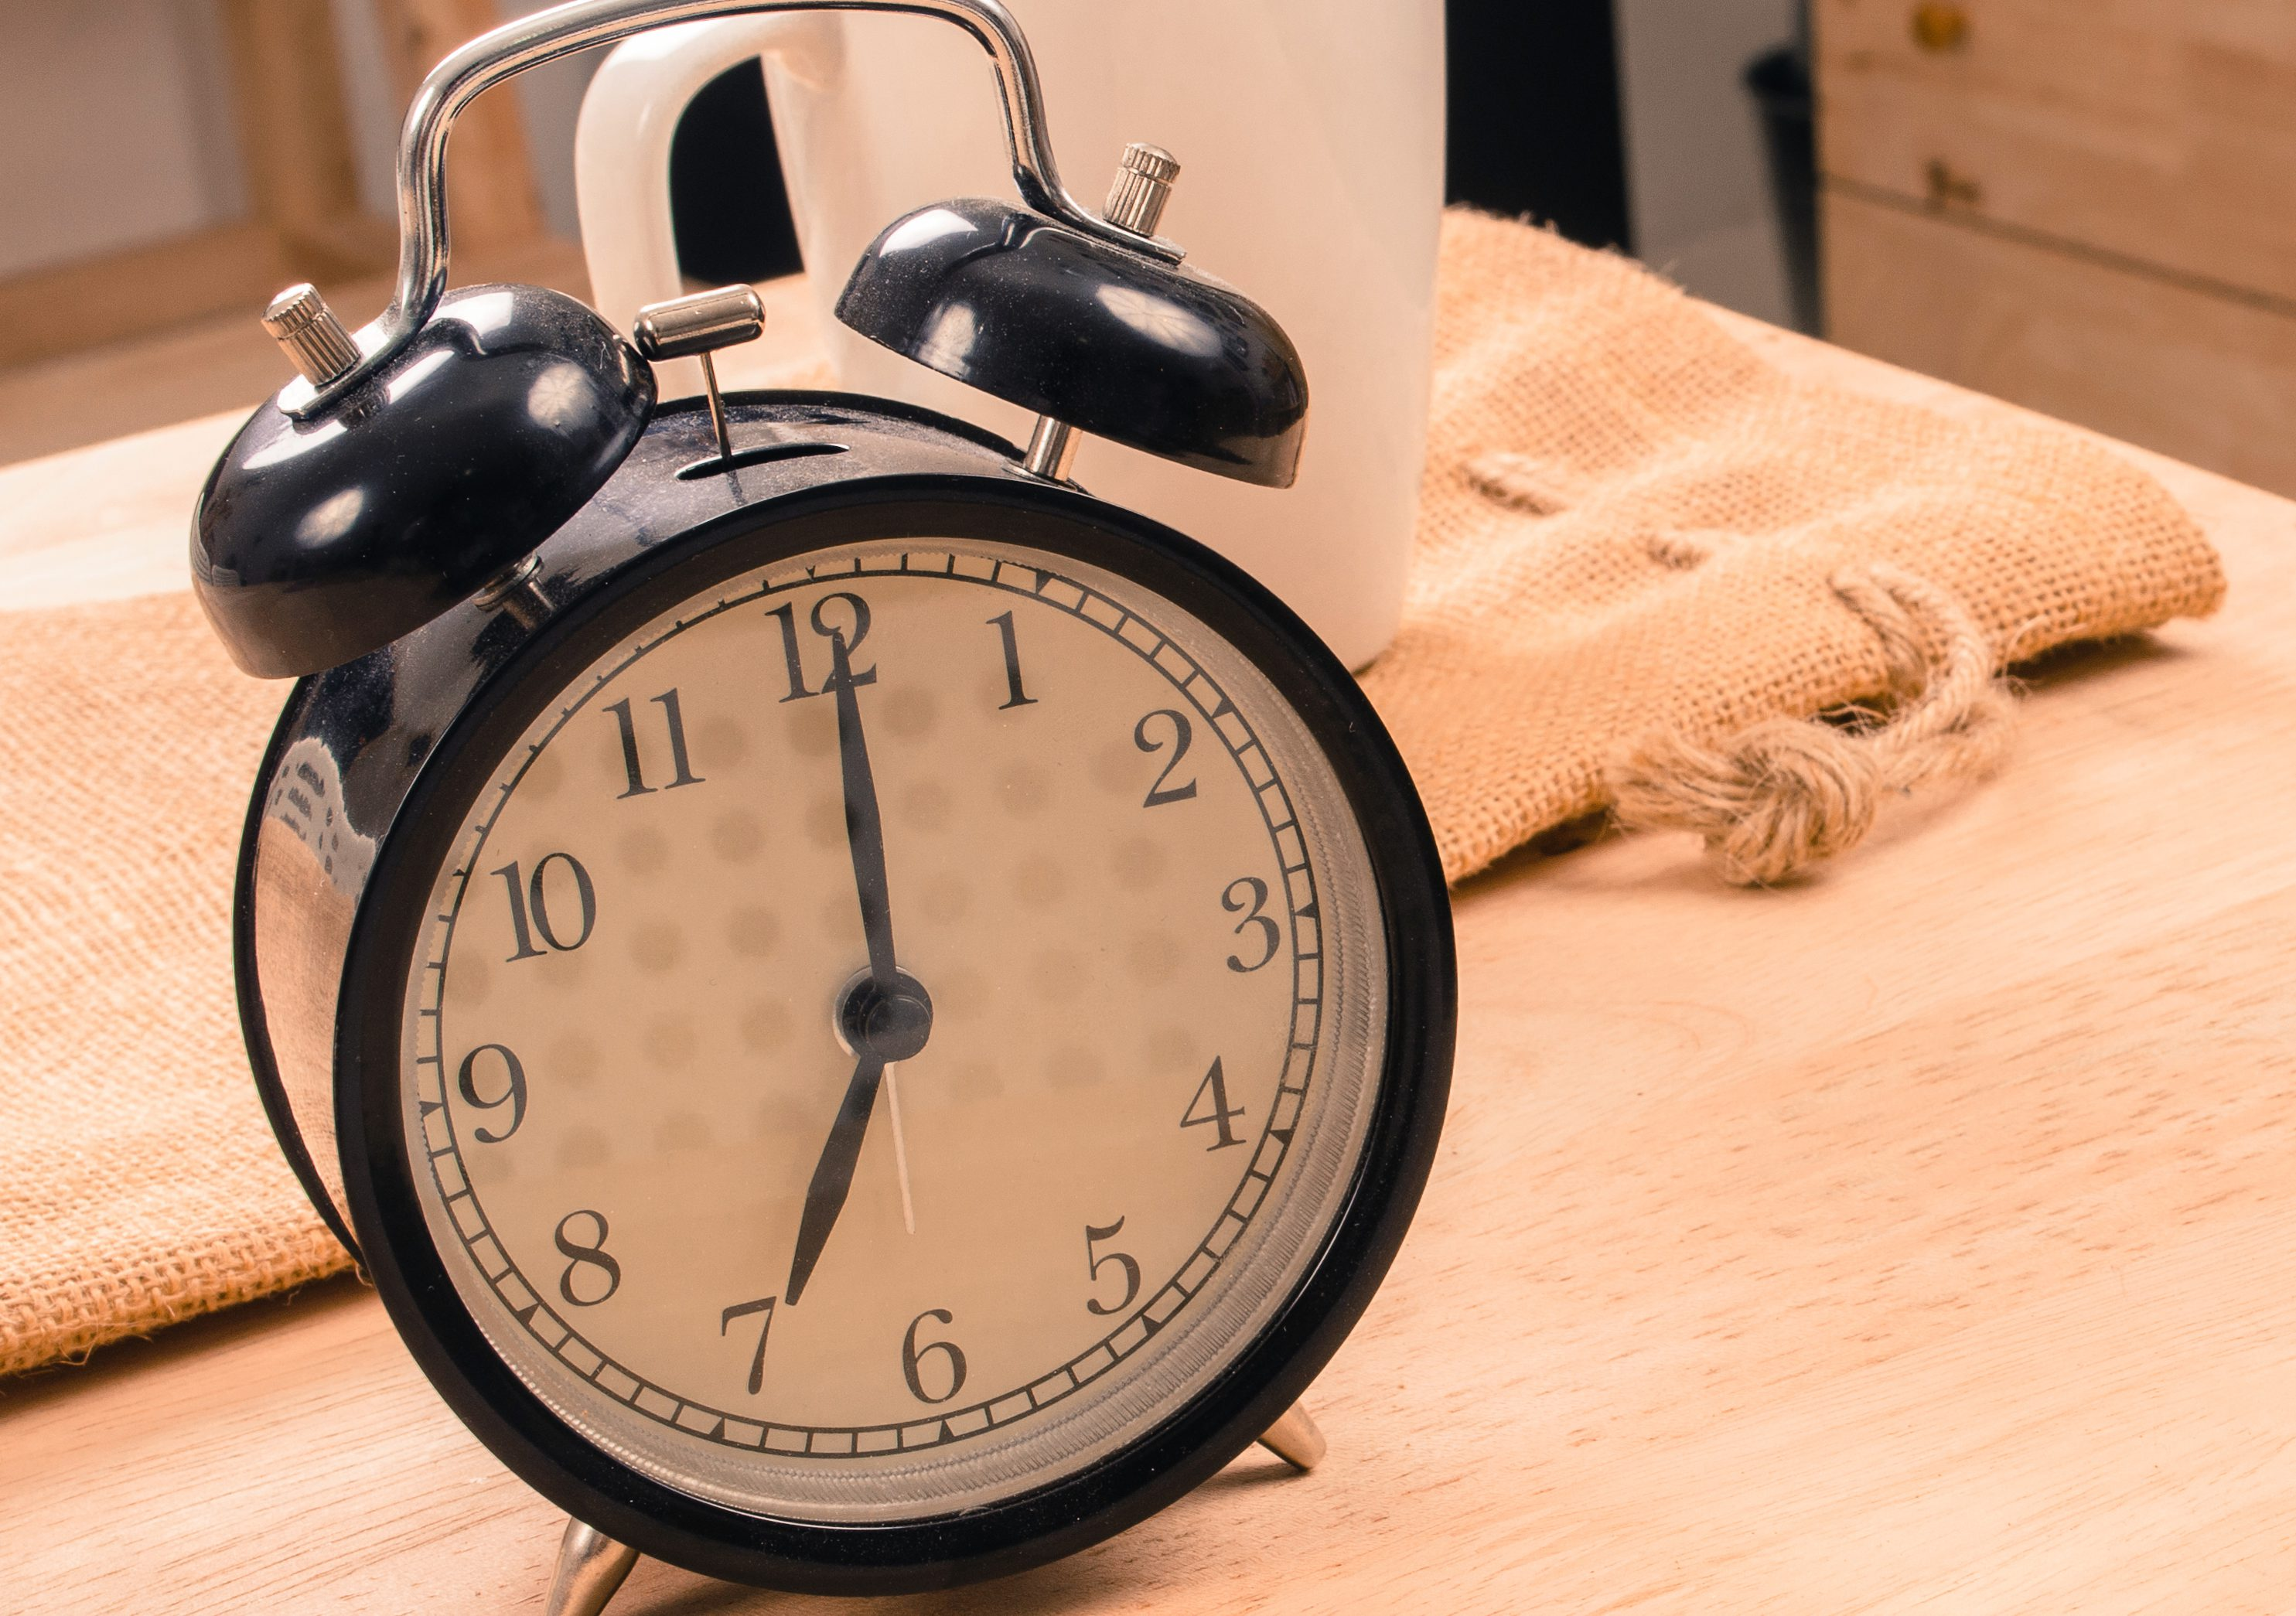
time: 7:00
